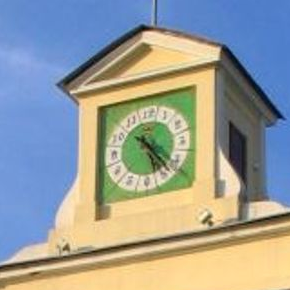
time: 5:23
